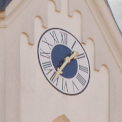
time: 1:36
